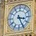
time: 3:25
